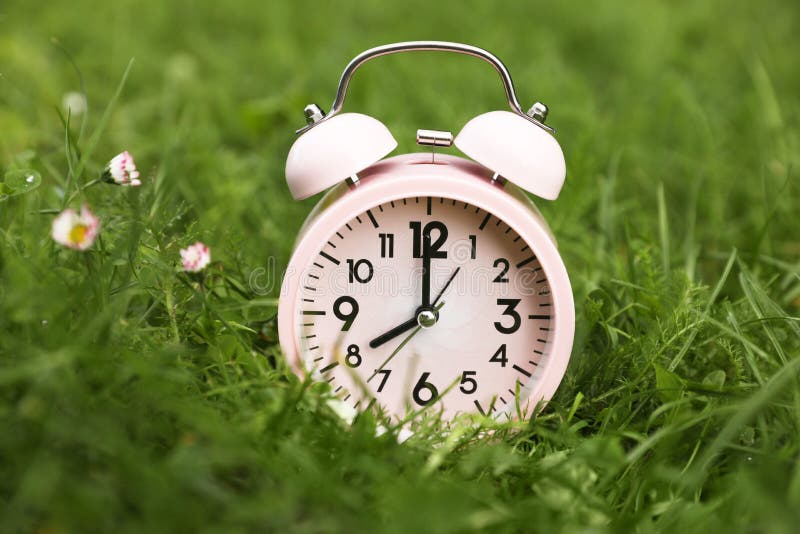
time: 7:59
